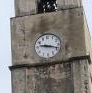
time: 9:18
